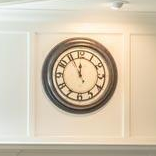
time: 11:55
